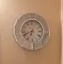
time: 6:41
